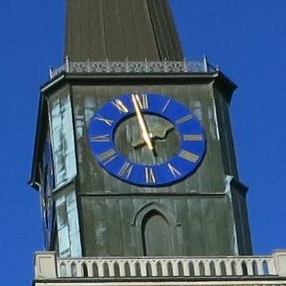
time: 1:58
